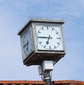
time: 6:45
